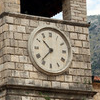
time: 10:36
